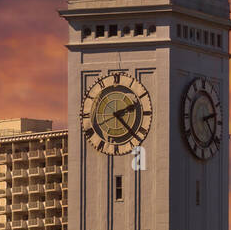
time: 2:22
